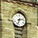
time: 2:32
